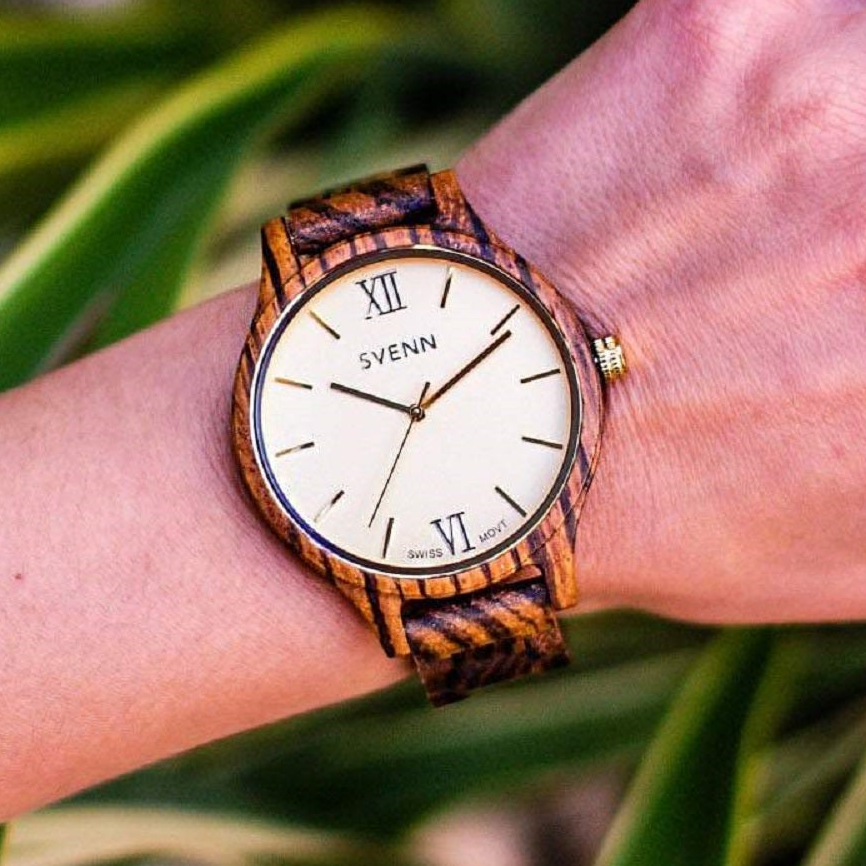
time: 9:10
